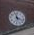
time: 11:17
